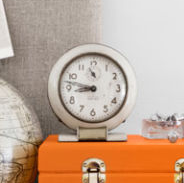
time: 8:47
